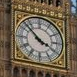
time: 3:52
